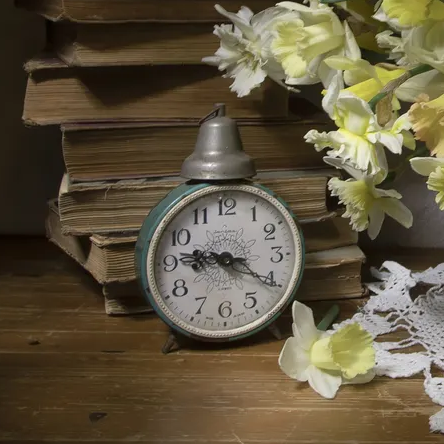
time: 9:20
